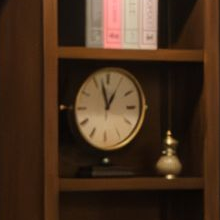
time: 12:57
